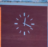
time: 12:18
